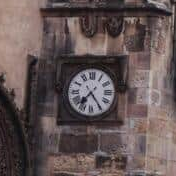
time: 7:24
